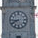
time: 8:40
